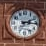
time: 2:15
